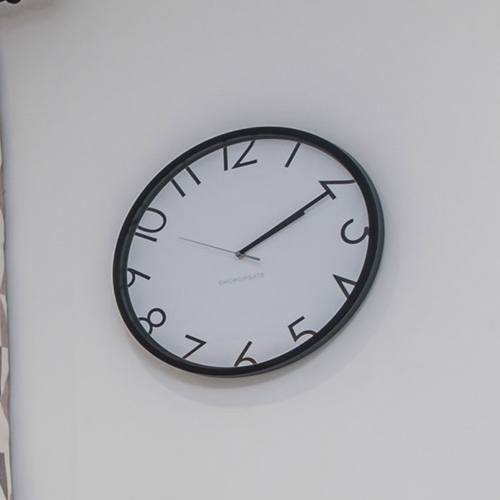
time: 2:10
